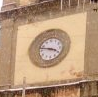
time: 3:47
